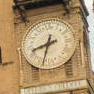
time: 8:32
